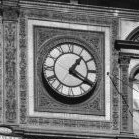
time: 1:20
